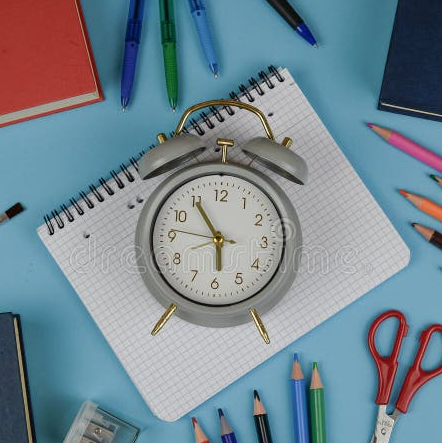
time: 5:54
